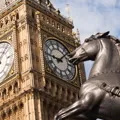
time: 9:07
